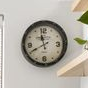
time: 11:40
